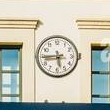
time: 5:44
